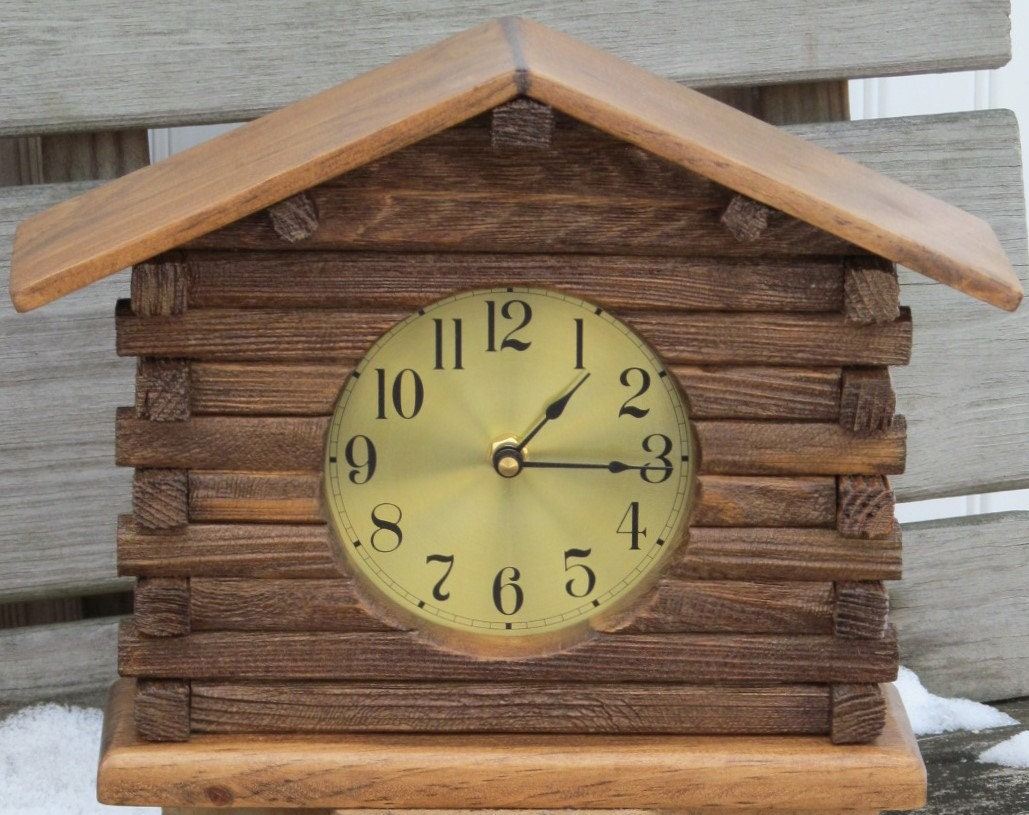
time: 1:15
